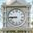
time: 8:45
